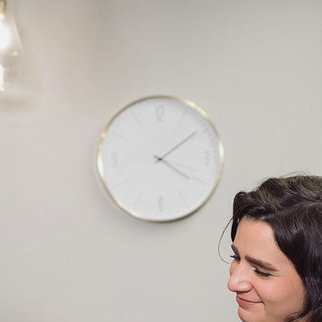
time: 4:09
